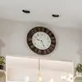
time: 9:26
